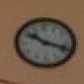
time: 10:18
